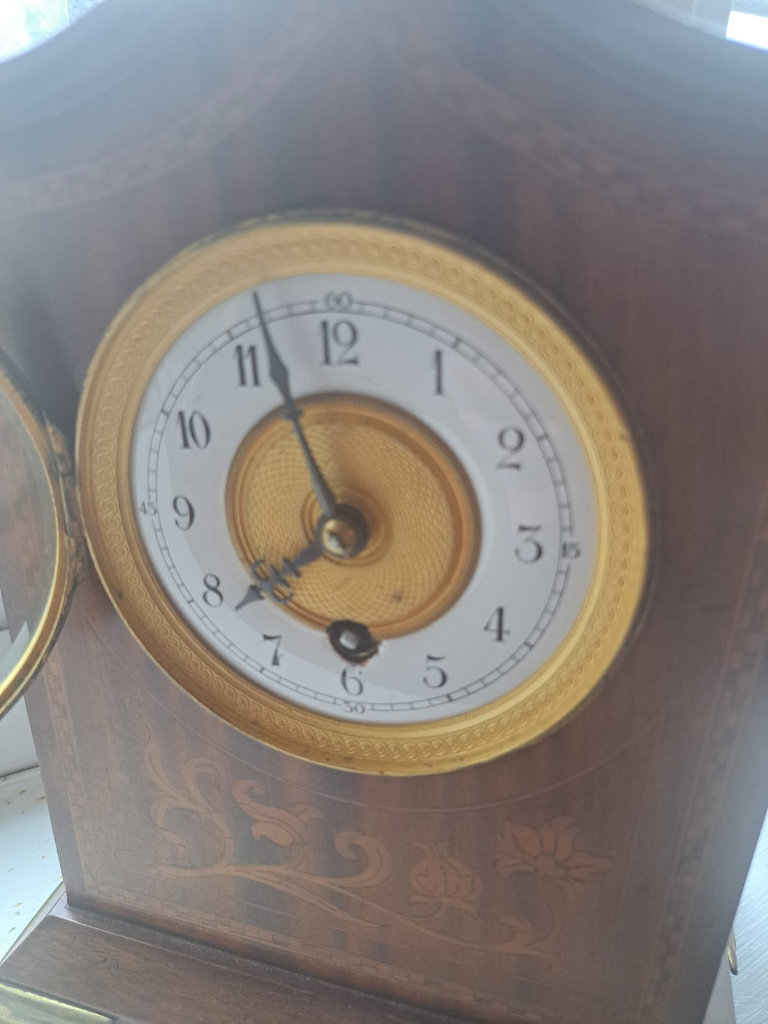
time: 7:56
